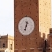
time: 12:32
